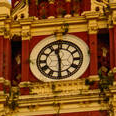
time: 11:29
